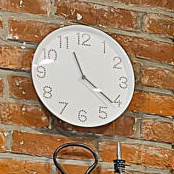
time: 11:21
